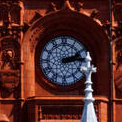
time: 2:14
